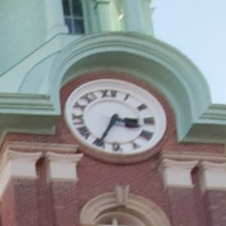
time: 3:34
